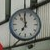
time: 6:58
